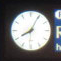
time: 8:04
